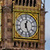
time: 12:26
